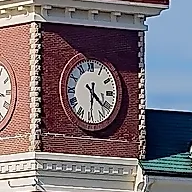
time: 4:29
